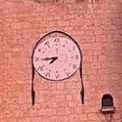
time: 7:44
